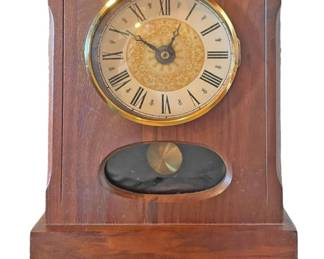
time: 12:50
